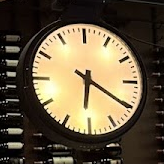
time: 6:20
